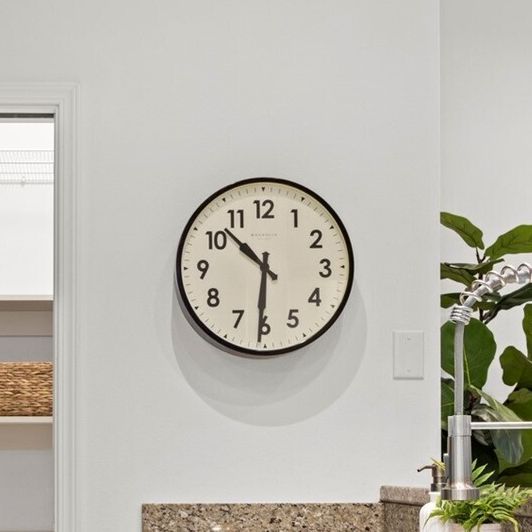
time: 10:30
